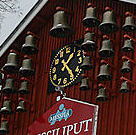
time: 1:23
